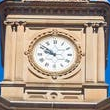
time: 9:51
